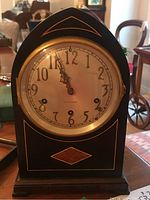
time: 10:56
